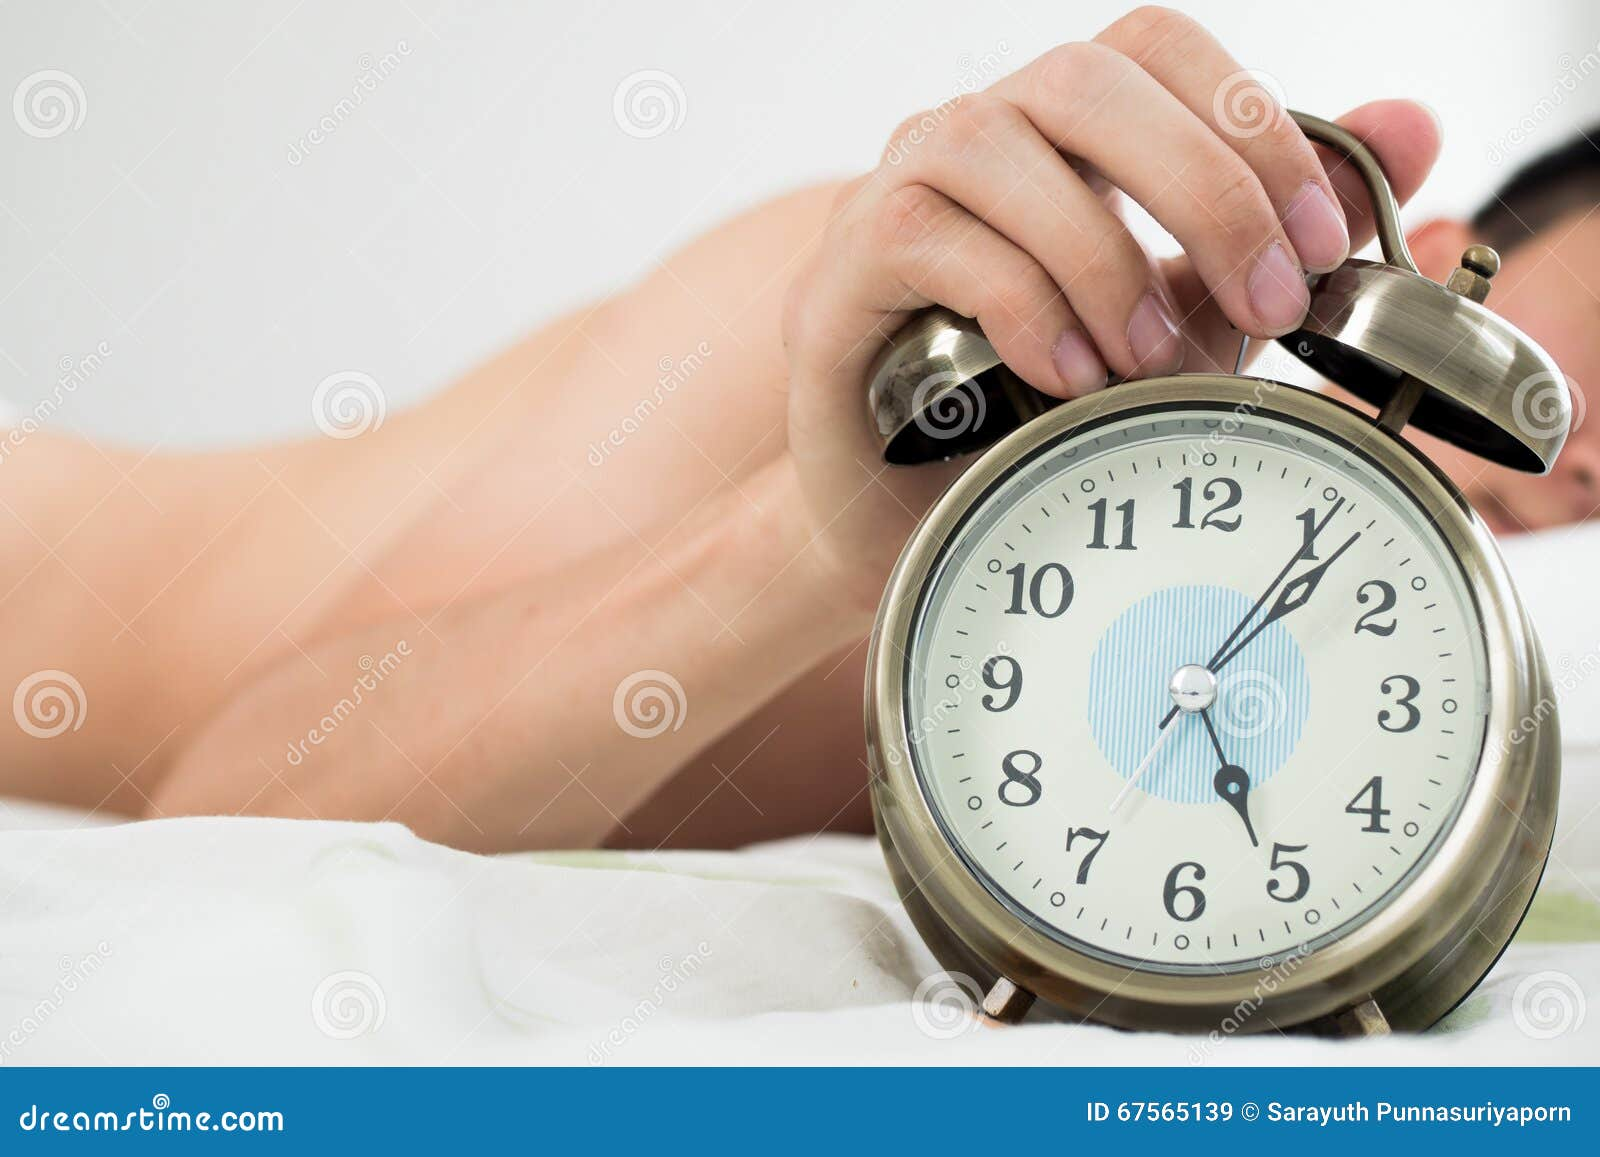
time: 5:06
